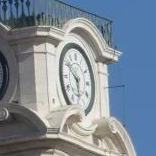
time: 5:51
